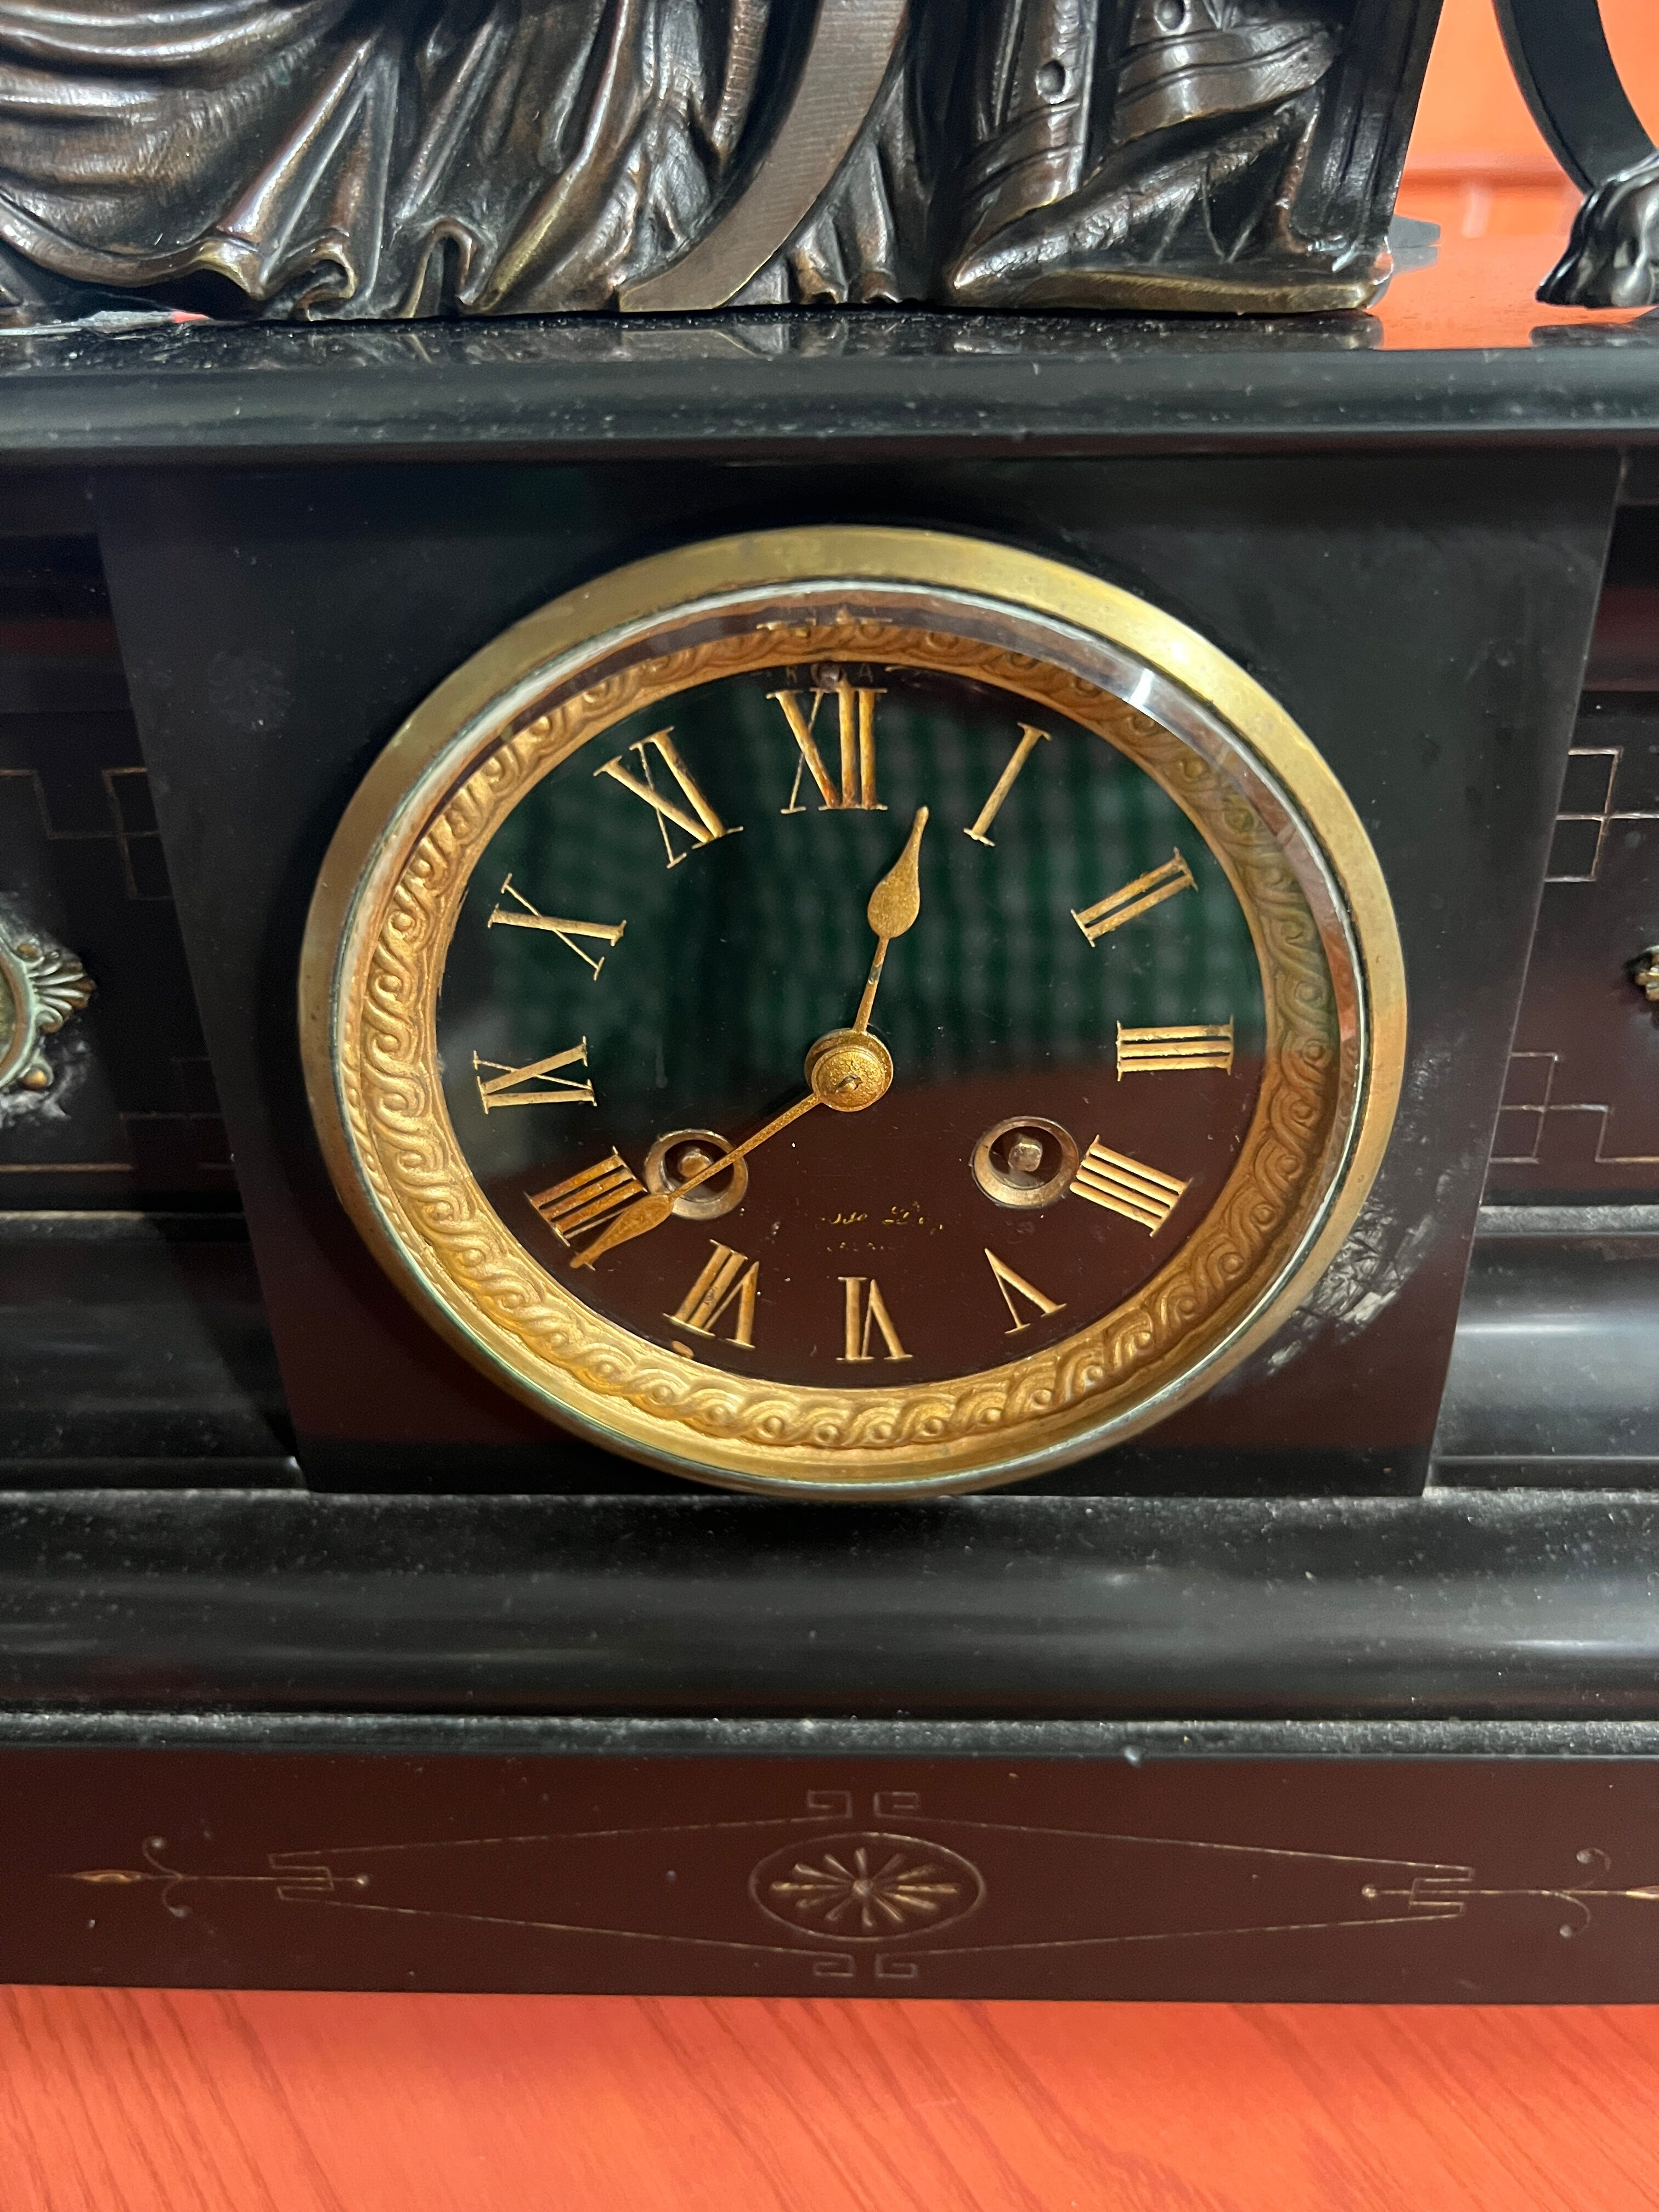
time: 12:38
